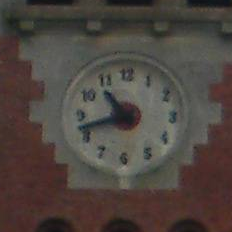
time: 10:42
